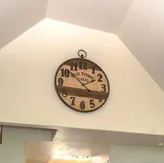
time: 1:52
